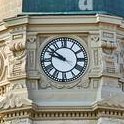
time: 9:51
